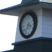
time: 3:35
